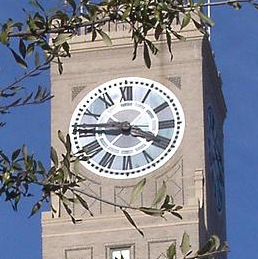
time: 3:45
